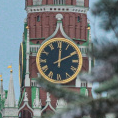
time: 12:10
